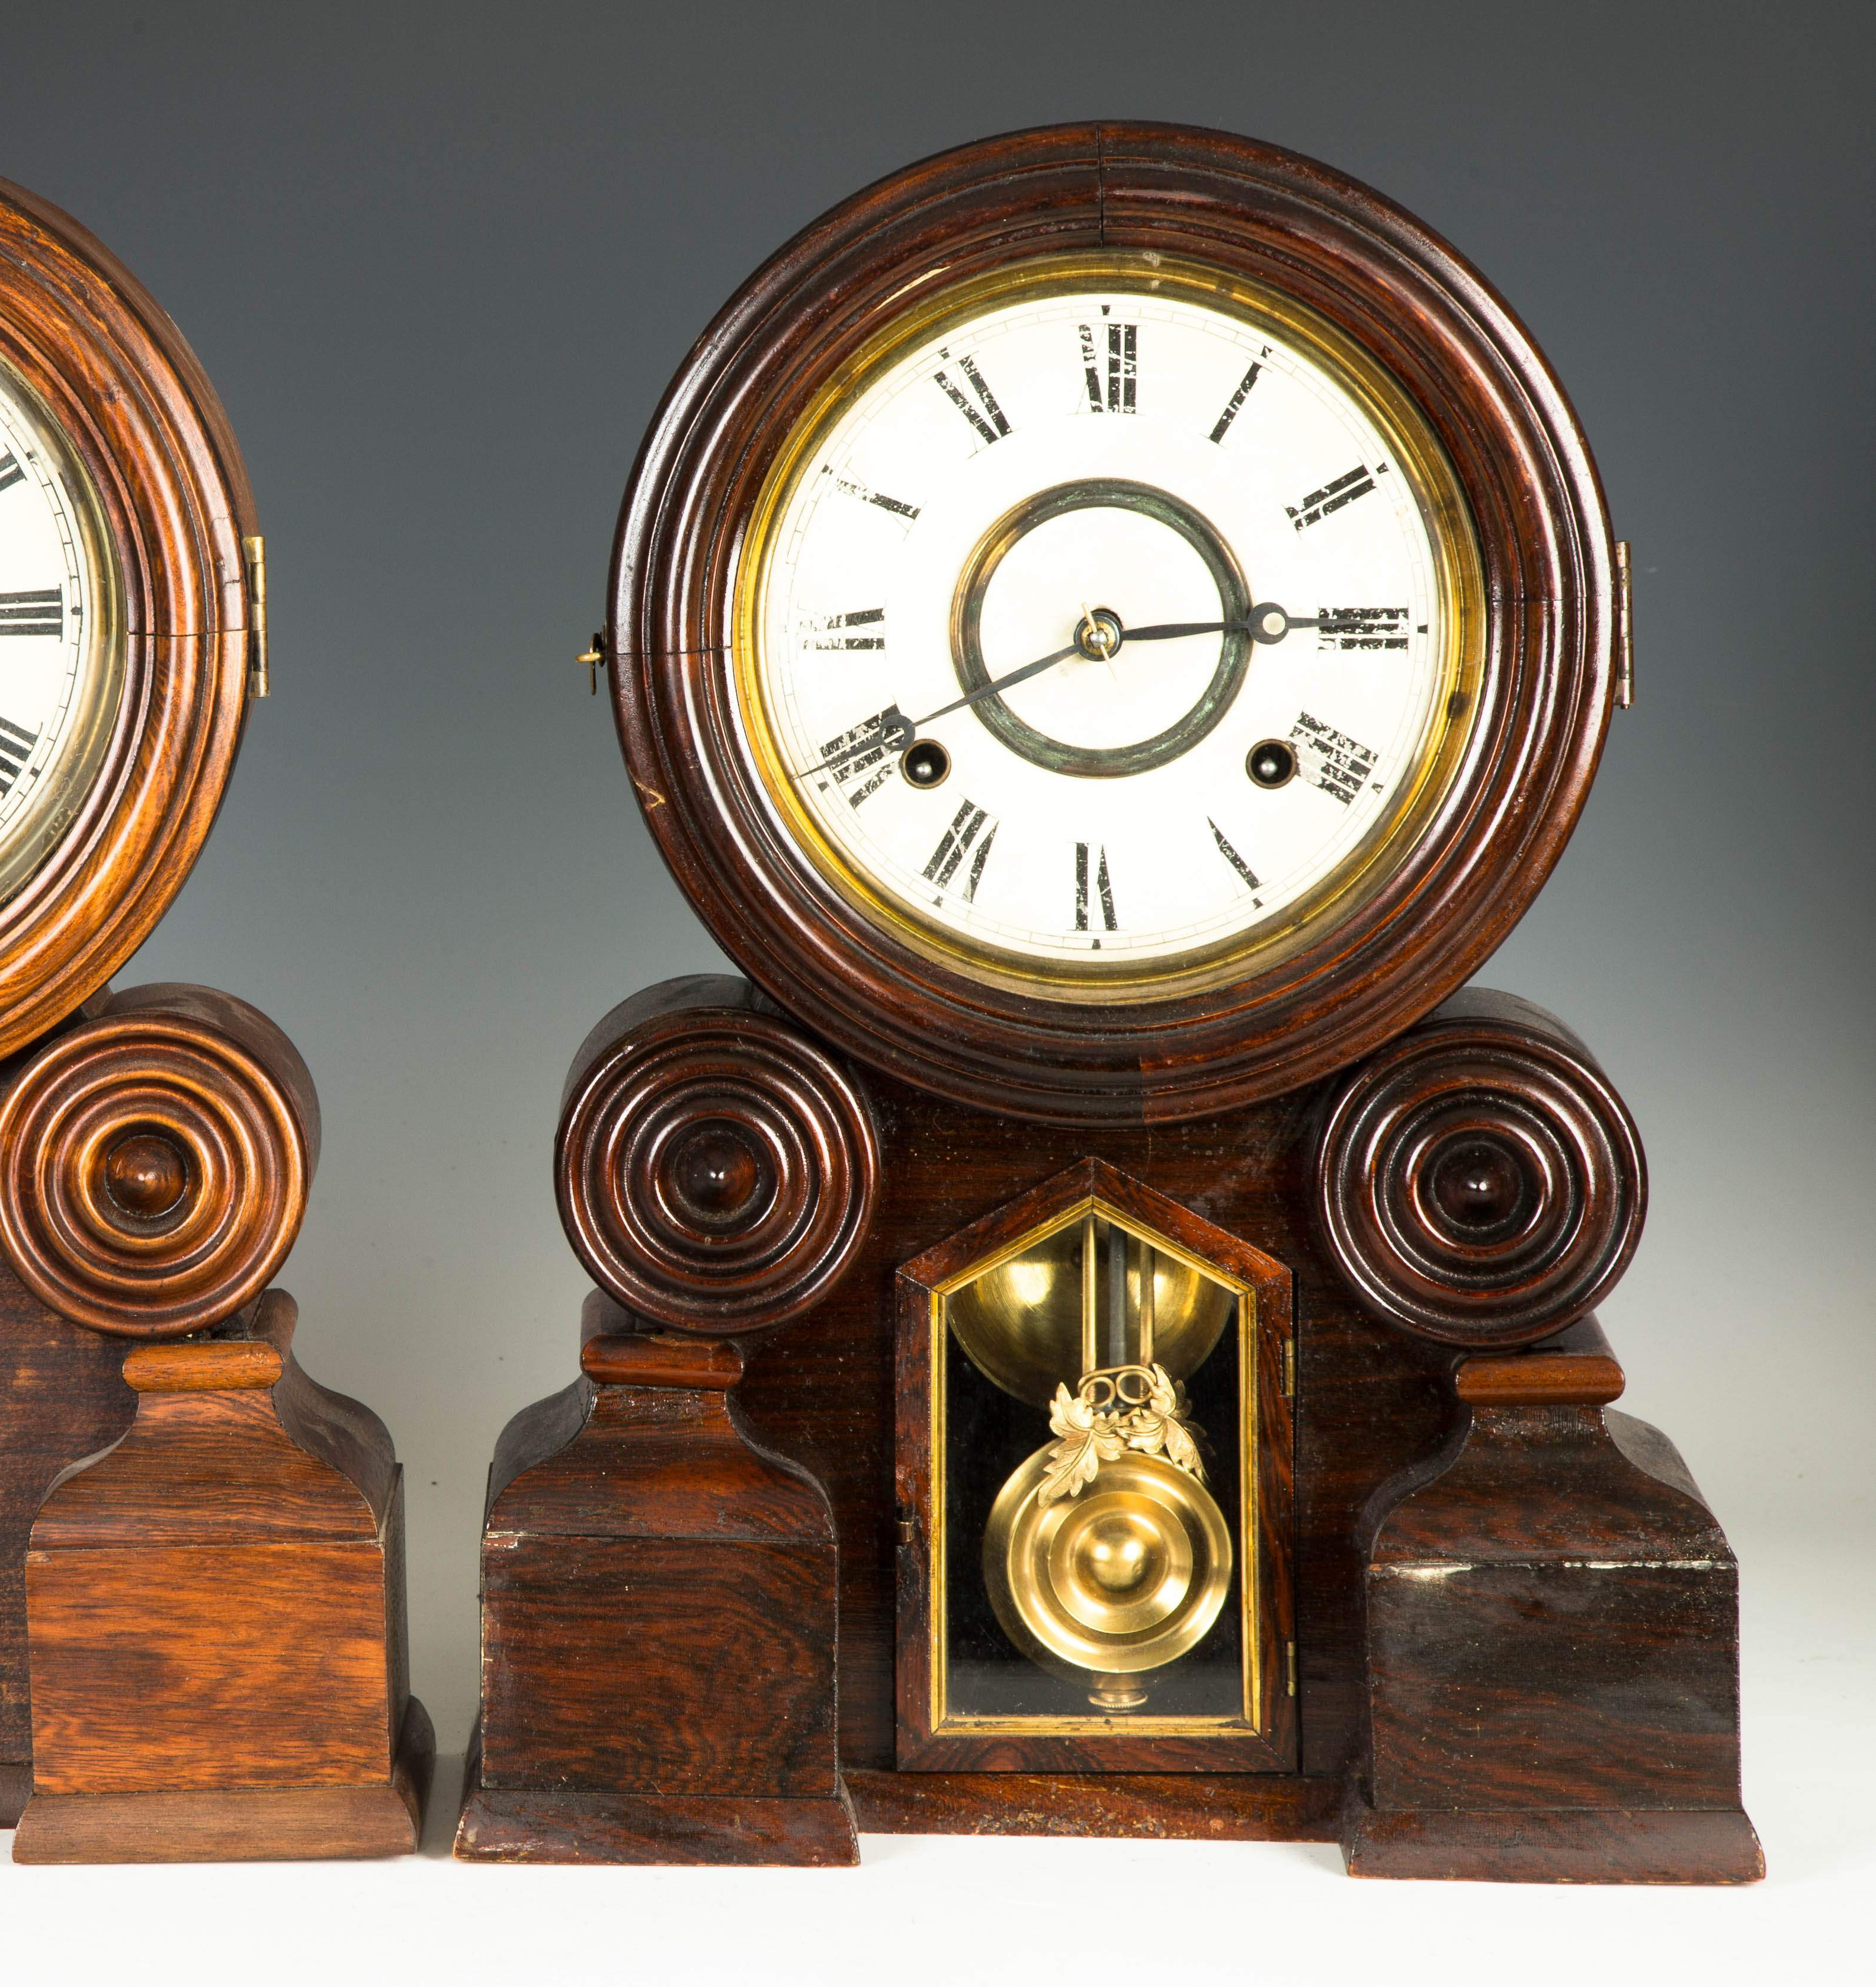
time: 8:14
